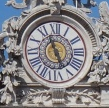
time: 4:56
